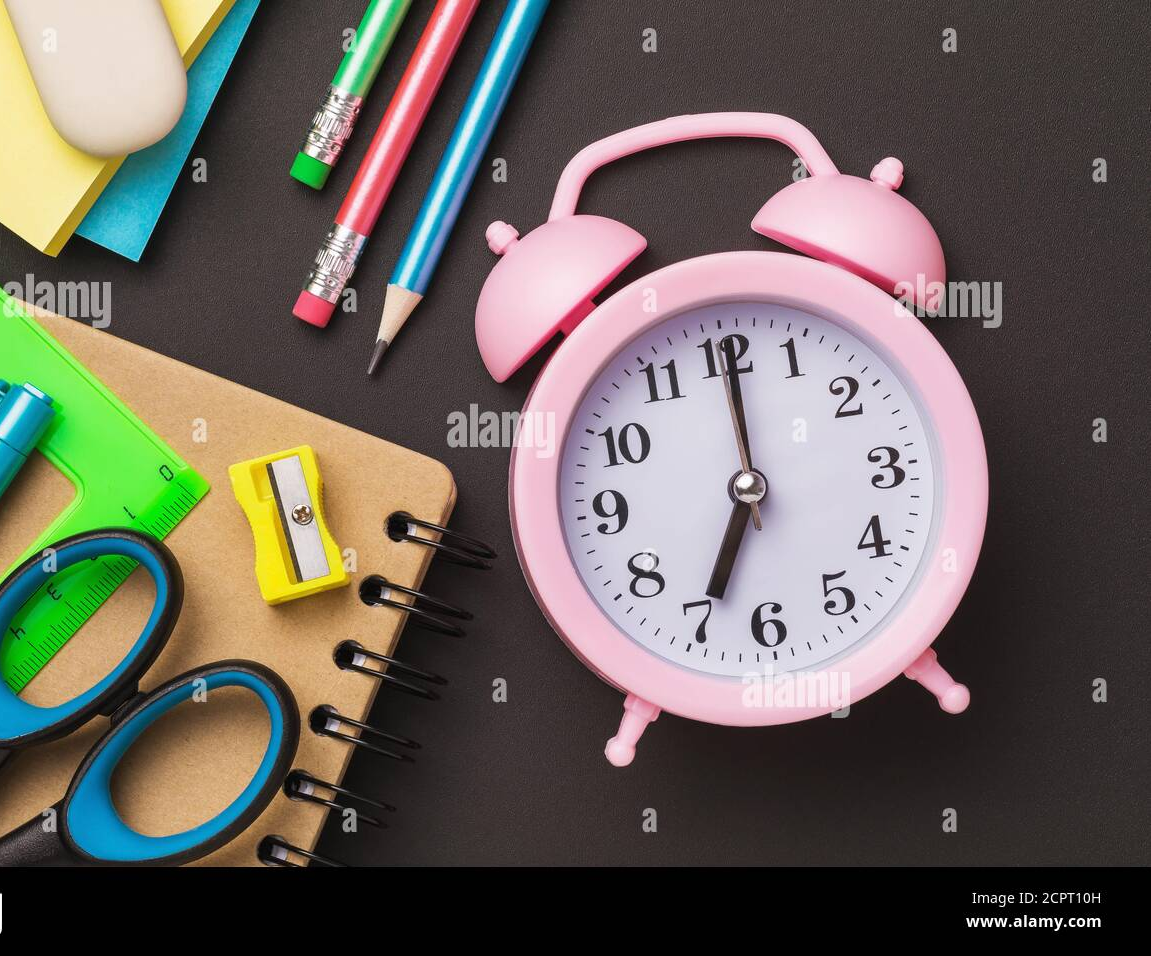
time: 7:00
